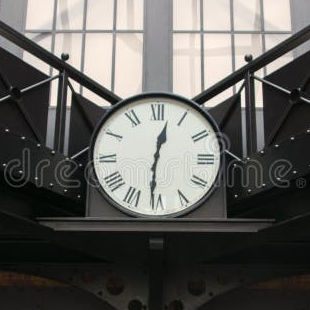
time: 12:30
